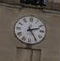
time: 2:24
